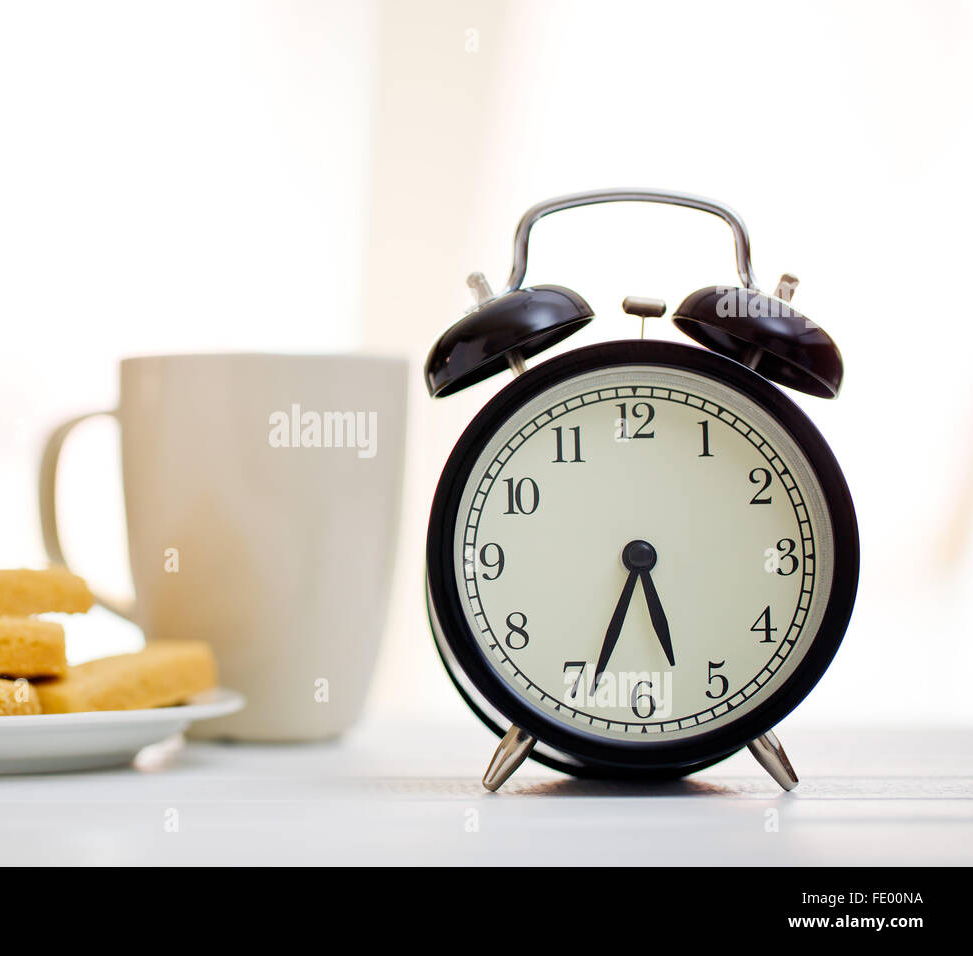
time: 5:33
